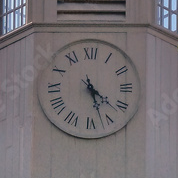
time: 4:27
